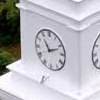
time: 11:11
